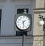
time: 1:28
